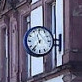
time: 11:36
